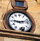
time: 9:12
